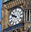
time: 9:51
